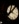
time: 8:07
